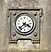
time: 3:37
